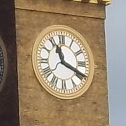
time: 11:19
